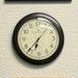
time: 6:36
